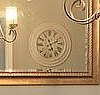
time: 5:11
